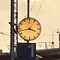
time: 3:43
